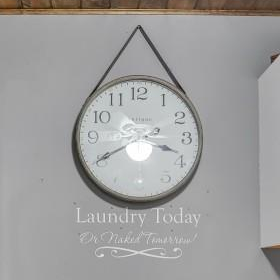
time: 3:40
